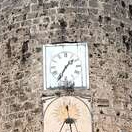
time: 1:35
